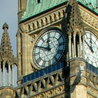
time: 11:49
